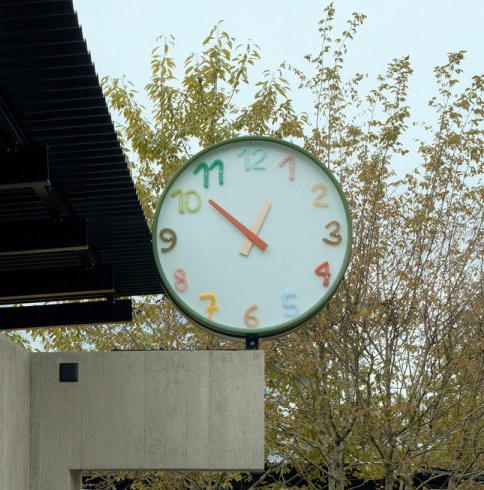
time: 12:52
